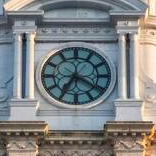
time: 7:20
